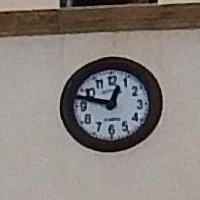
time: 12:47
